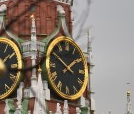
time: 1:50
